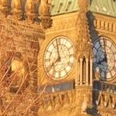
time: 7:58
